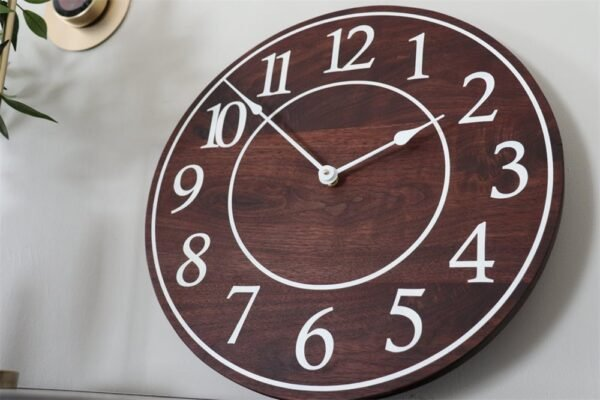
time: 1:52
